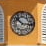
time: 10:15
